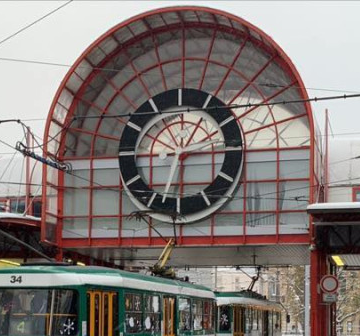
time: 6:15
